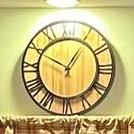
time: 12:49
